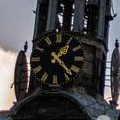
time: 1:22
